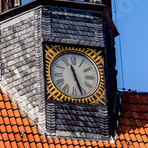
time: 11:26
